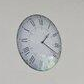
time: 1:18
